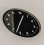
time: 12:32
